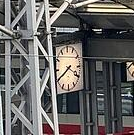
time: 3:40
